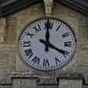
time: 4:00
